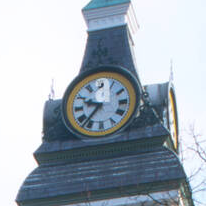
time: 9:36
